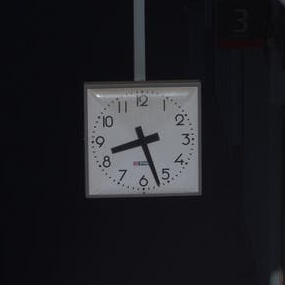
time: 8:26
